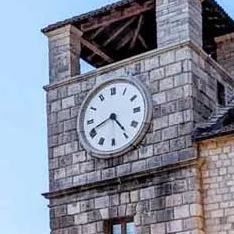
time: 4:41
